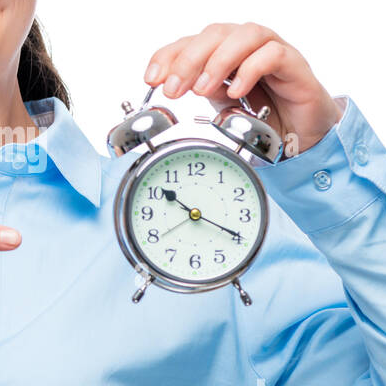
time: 10:19
